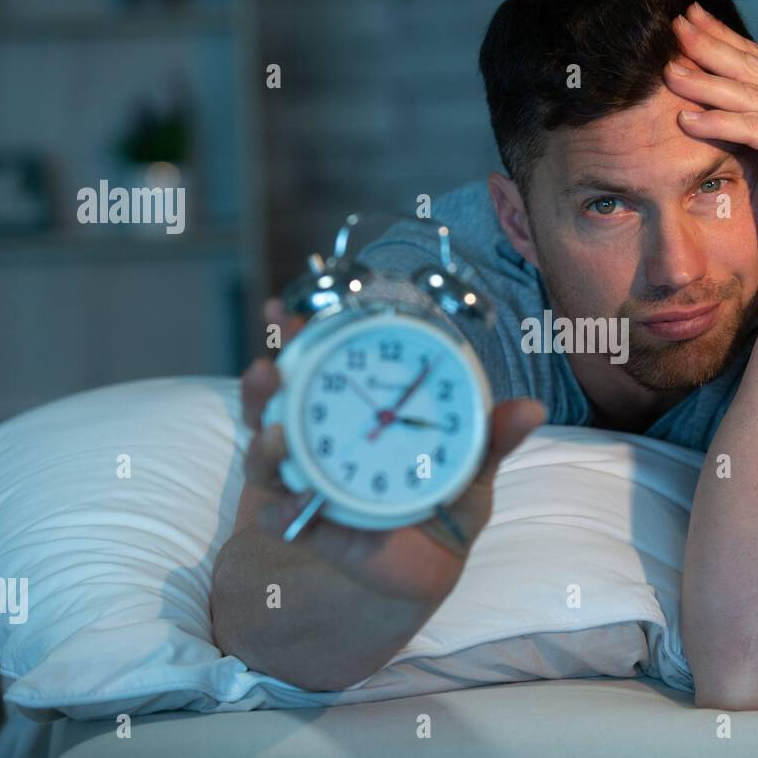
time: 3:06
